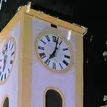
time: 7:02
